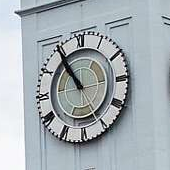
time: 10:54
